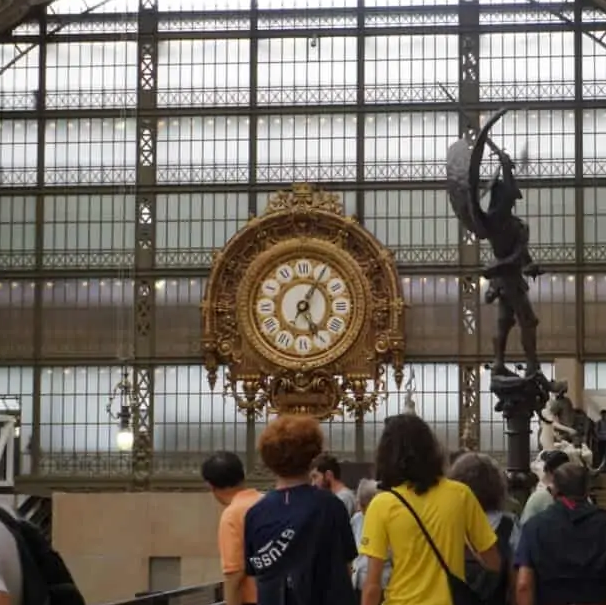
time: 5:05
